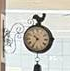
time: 10:34
